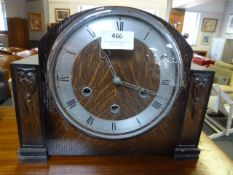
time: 11:18
